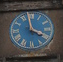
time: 3:58
